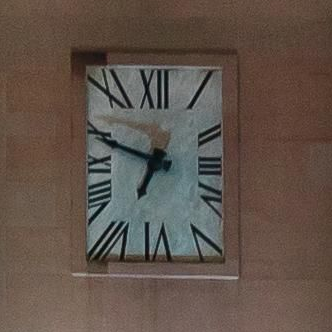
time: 6:48
